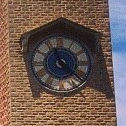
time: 11:21
